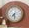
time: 7:28
